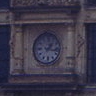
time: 1:16
